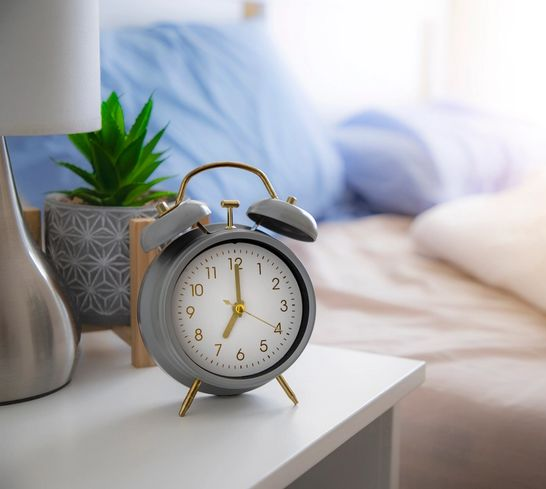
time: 7:00
